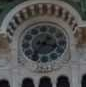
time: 3:36
